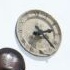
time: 2:23
